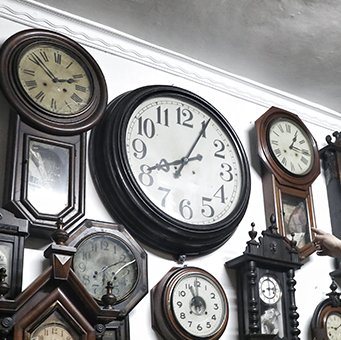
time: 8:05
